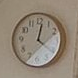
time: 12:20
